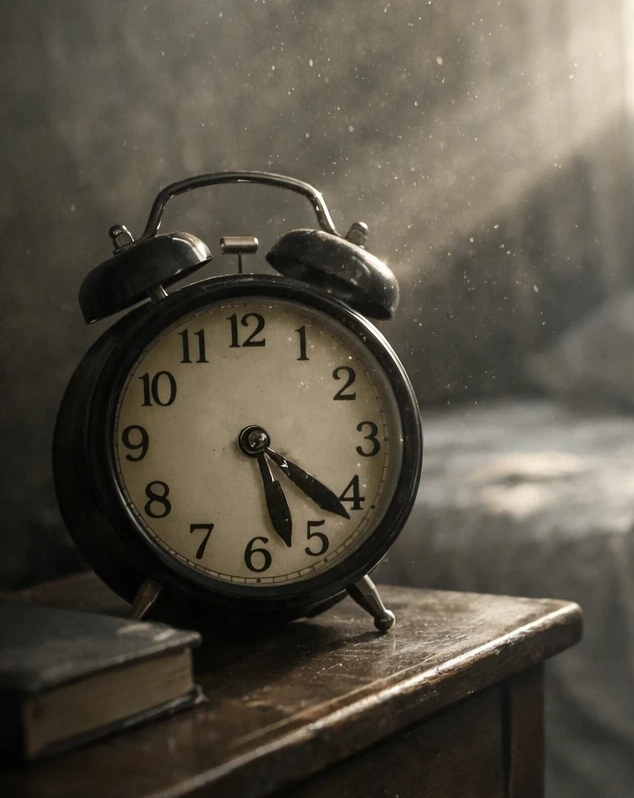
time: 5:21
